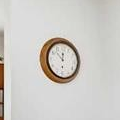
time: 11:52
